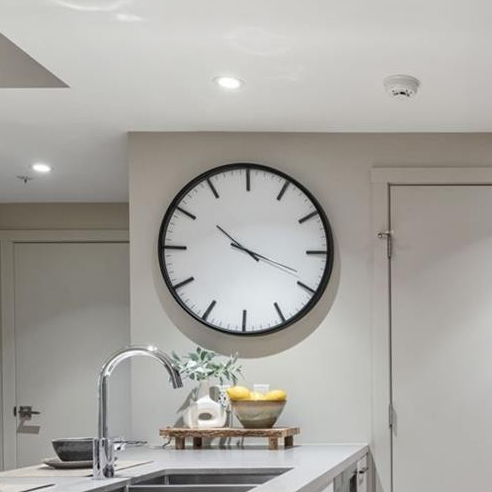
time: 10:18
